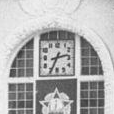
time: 2:34
